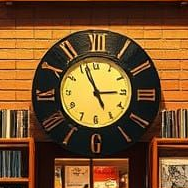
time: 2:56
